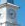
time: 8:32
